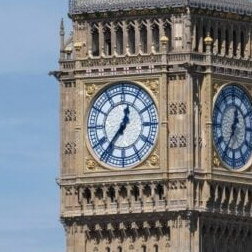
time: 12:36
